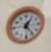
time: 1:24
